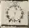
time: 12:32
